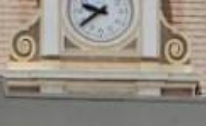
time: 9:38
